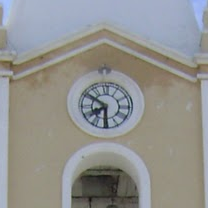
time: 7:50
